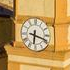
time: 6:18
